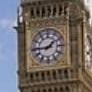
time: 1:44
